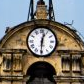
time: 12:30
